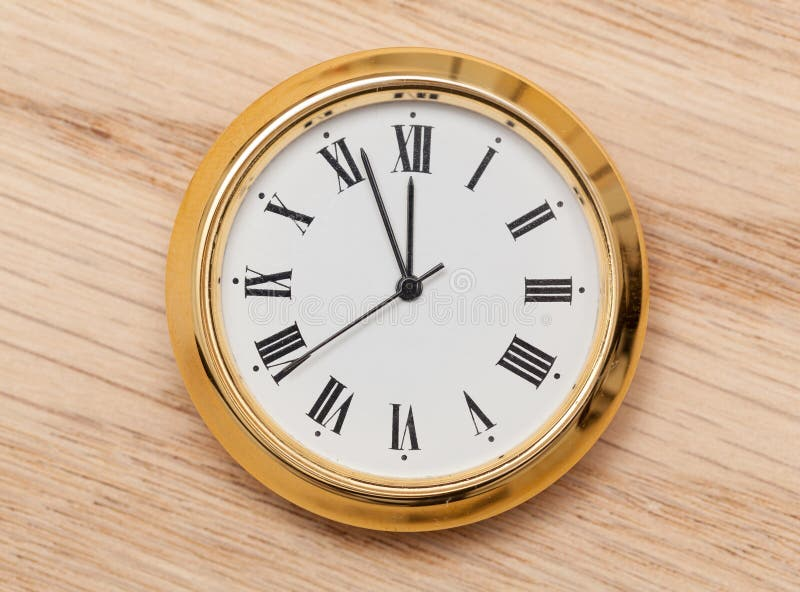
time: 11:56
